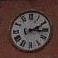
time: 2:15
